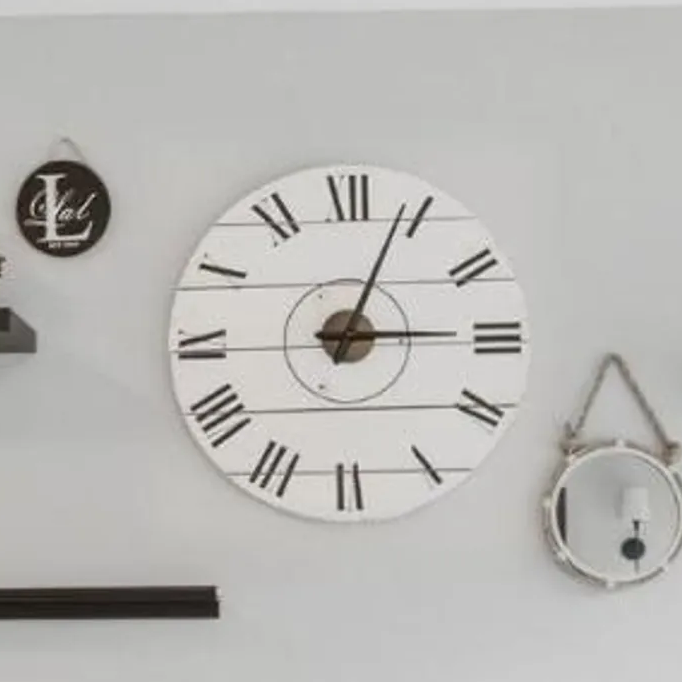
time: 3:03
